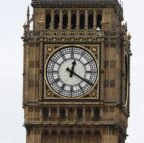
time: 12:20
